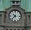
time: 7:15
